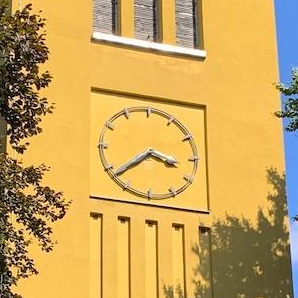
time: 3:38
